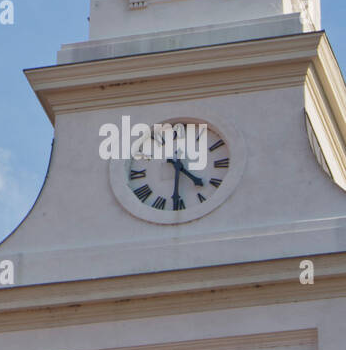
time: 4:31
